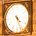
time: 4:26
